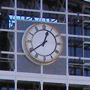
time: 12:39
